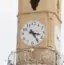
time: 3:24
